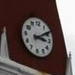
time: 3:09
